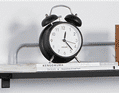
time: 12:23
